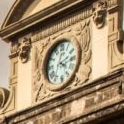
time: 4:12
